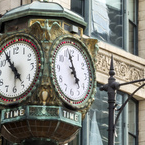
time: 4:57
